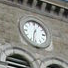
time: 12:32
